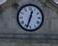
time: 12:33
